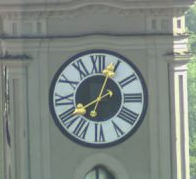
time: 8:03
